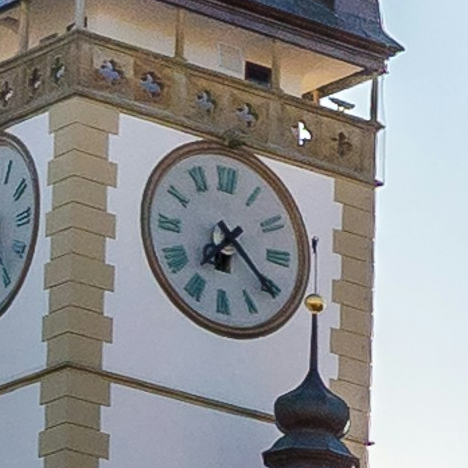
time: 7:20
